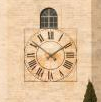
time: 1:51
